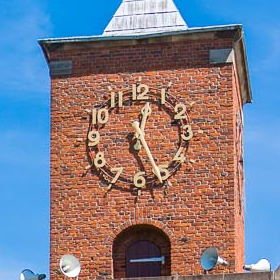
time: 12:26
